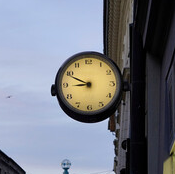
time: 8:49
